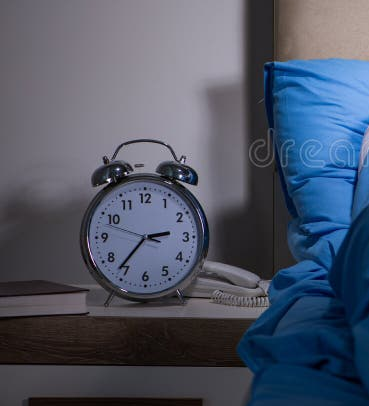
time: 2:36
